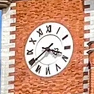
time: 3:39
